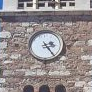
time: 2:24
